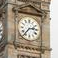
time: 2:36
